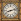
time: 8:12
